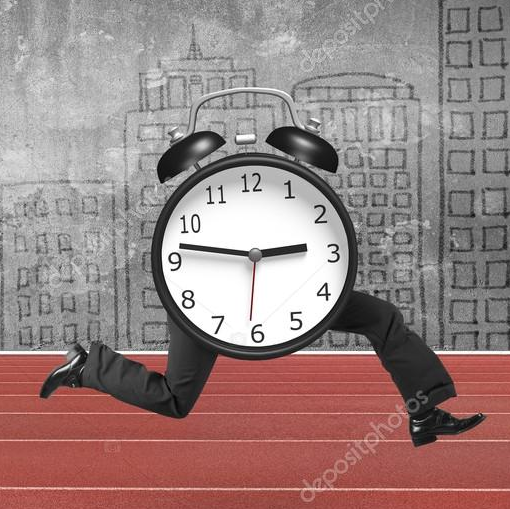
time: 2:46
